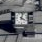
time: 4:02
